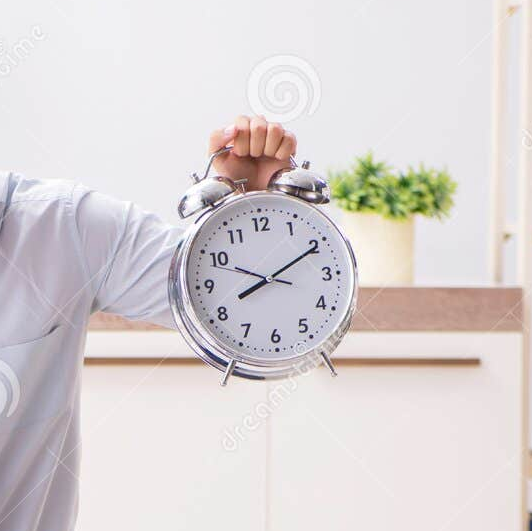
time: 8:10
